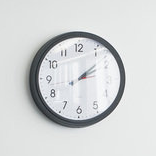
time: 2:08
